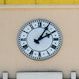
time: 2:05
